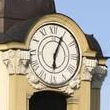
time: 6:04
